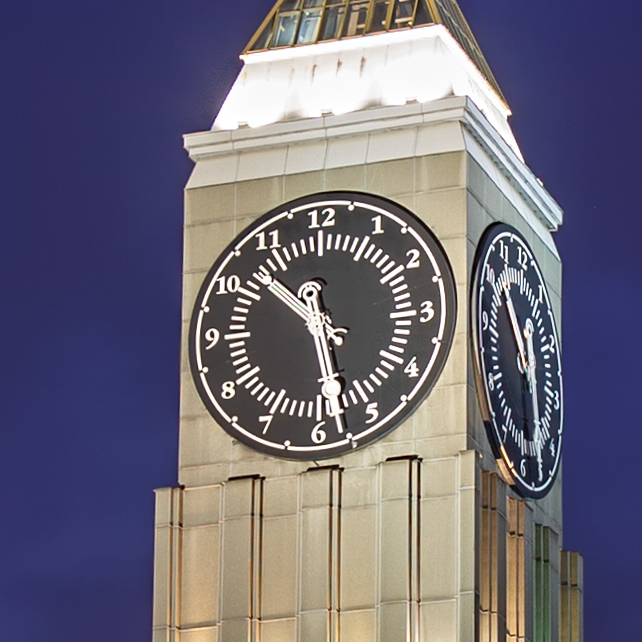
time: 10:28
